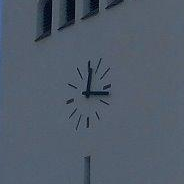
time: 12:16
